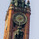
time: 7:12
